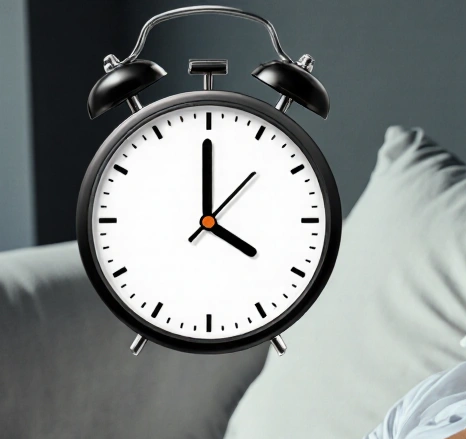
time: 4:00
